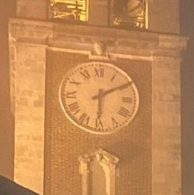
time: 6:09
